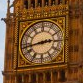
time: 2:43
